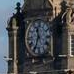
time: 11:34
